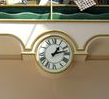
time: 1:12
